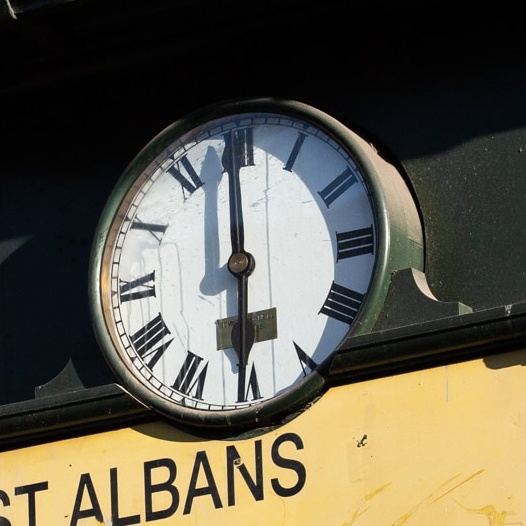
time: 5:59
